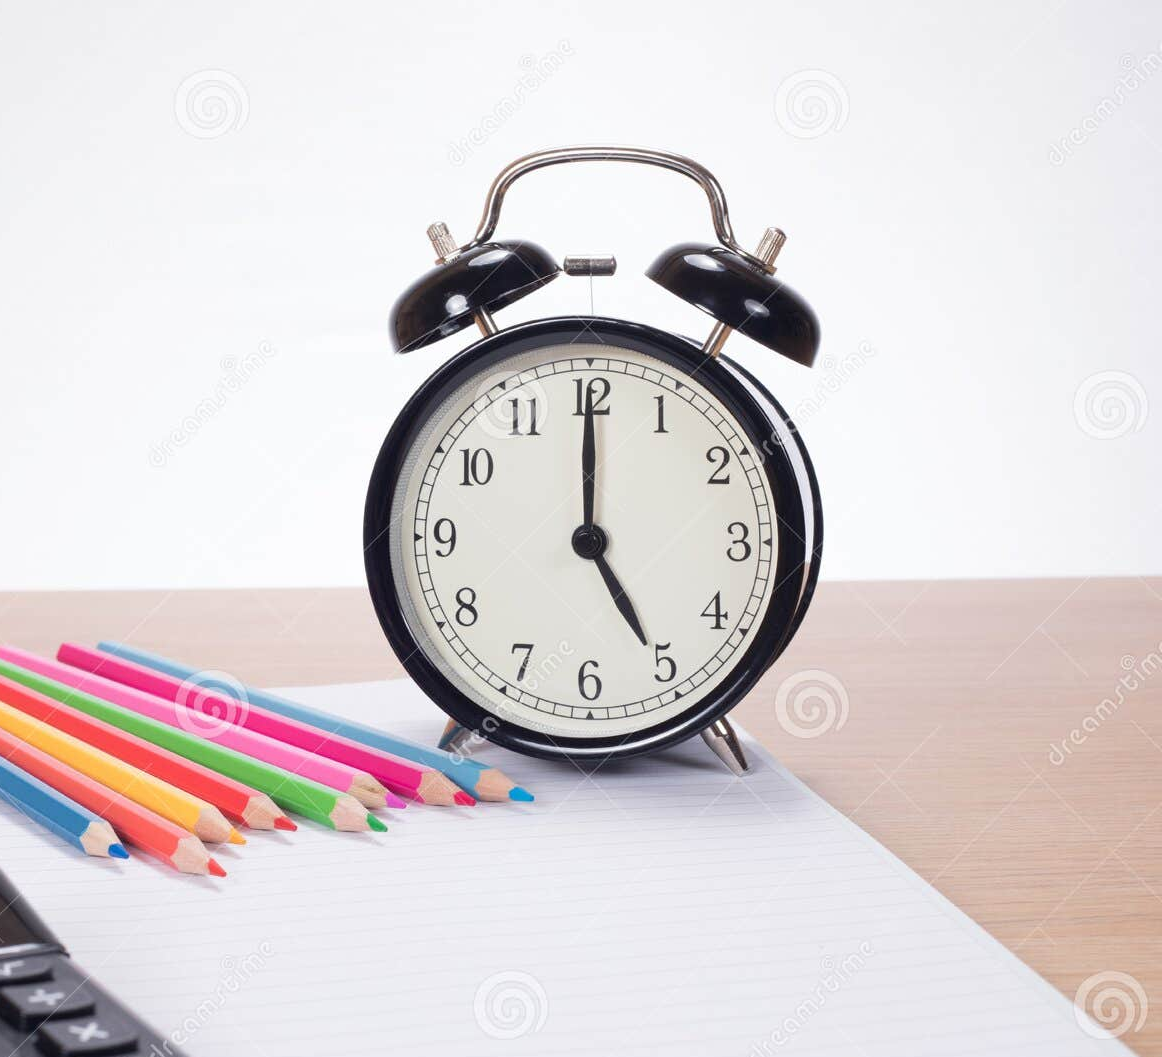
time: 5:00
